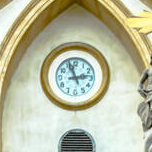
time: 2:56
